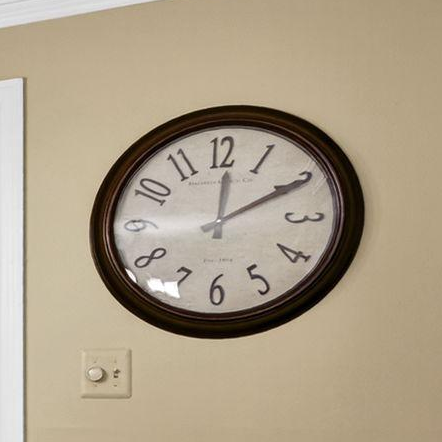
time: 12:10
